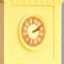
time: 2:09
